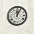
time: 12:04
